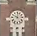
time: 10:00
